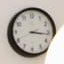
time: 3:16
